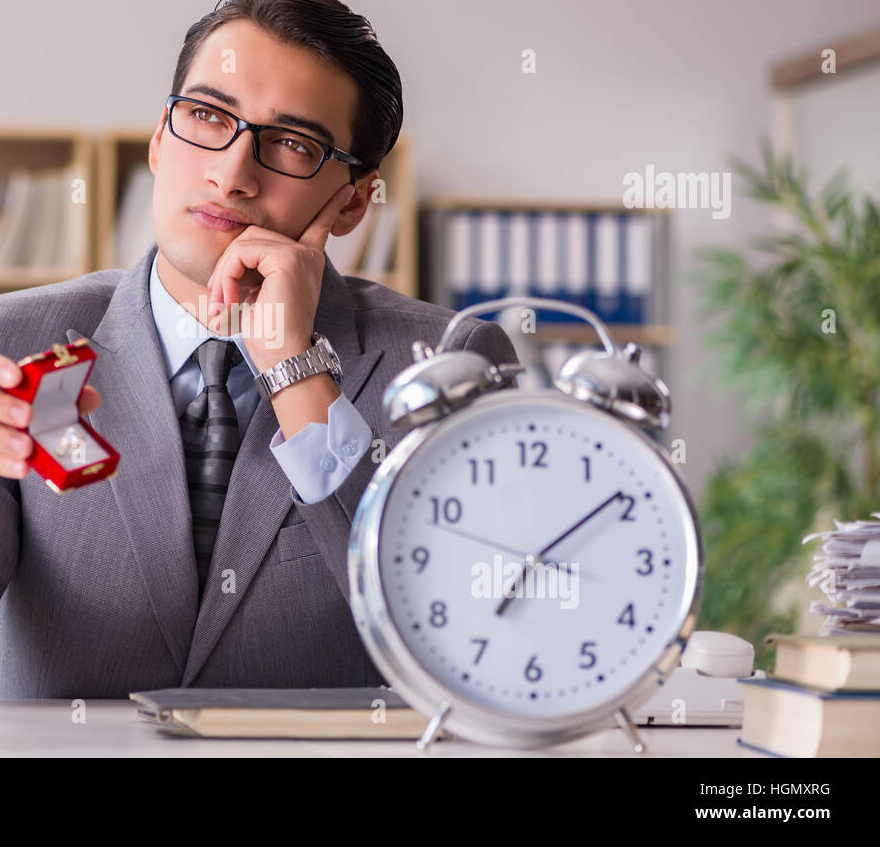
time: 7:09
